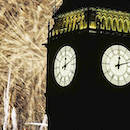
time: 12:11
